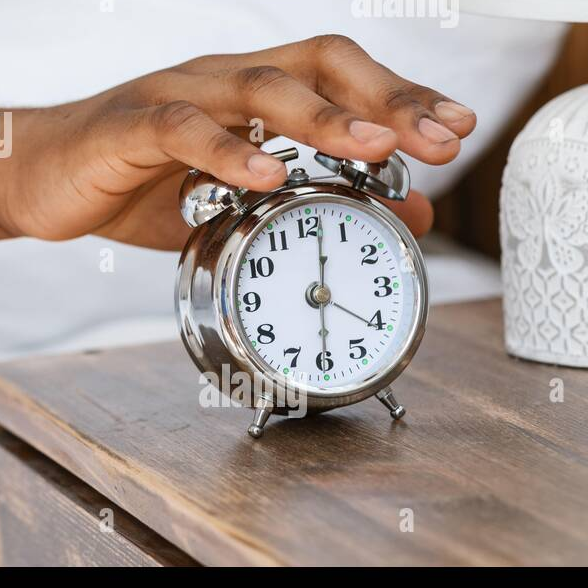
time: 4:01
